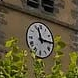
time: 11:14
